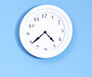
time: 4:38
